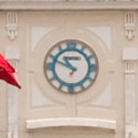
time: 10:49
